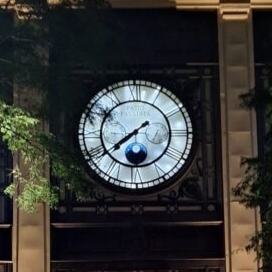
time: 7:39
